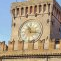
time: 11:17
